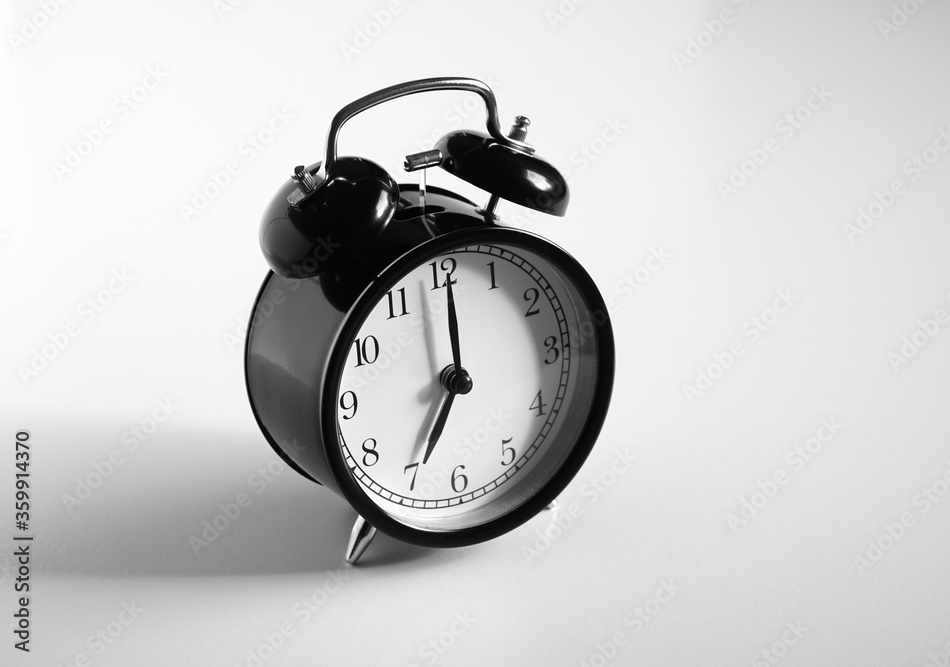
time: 7:00
